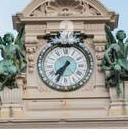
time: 7:34
